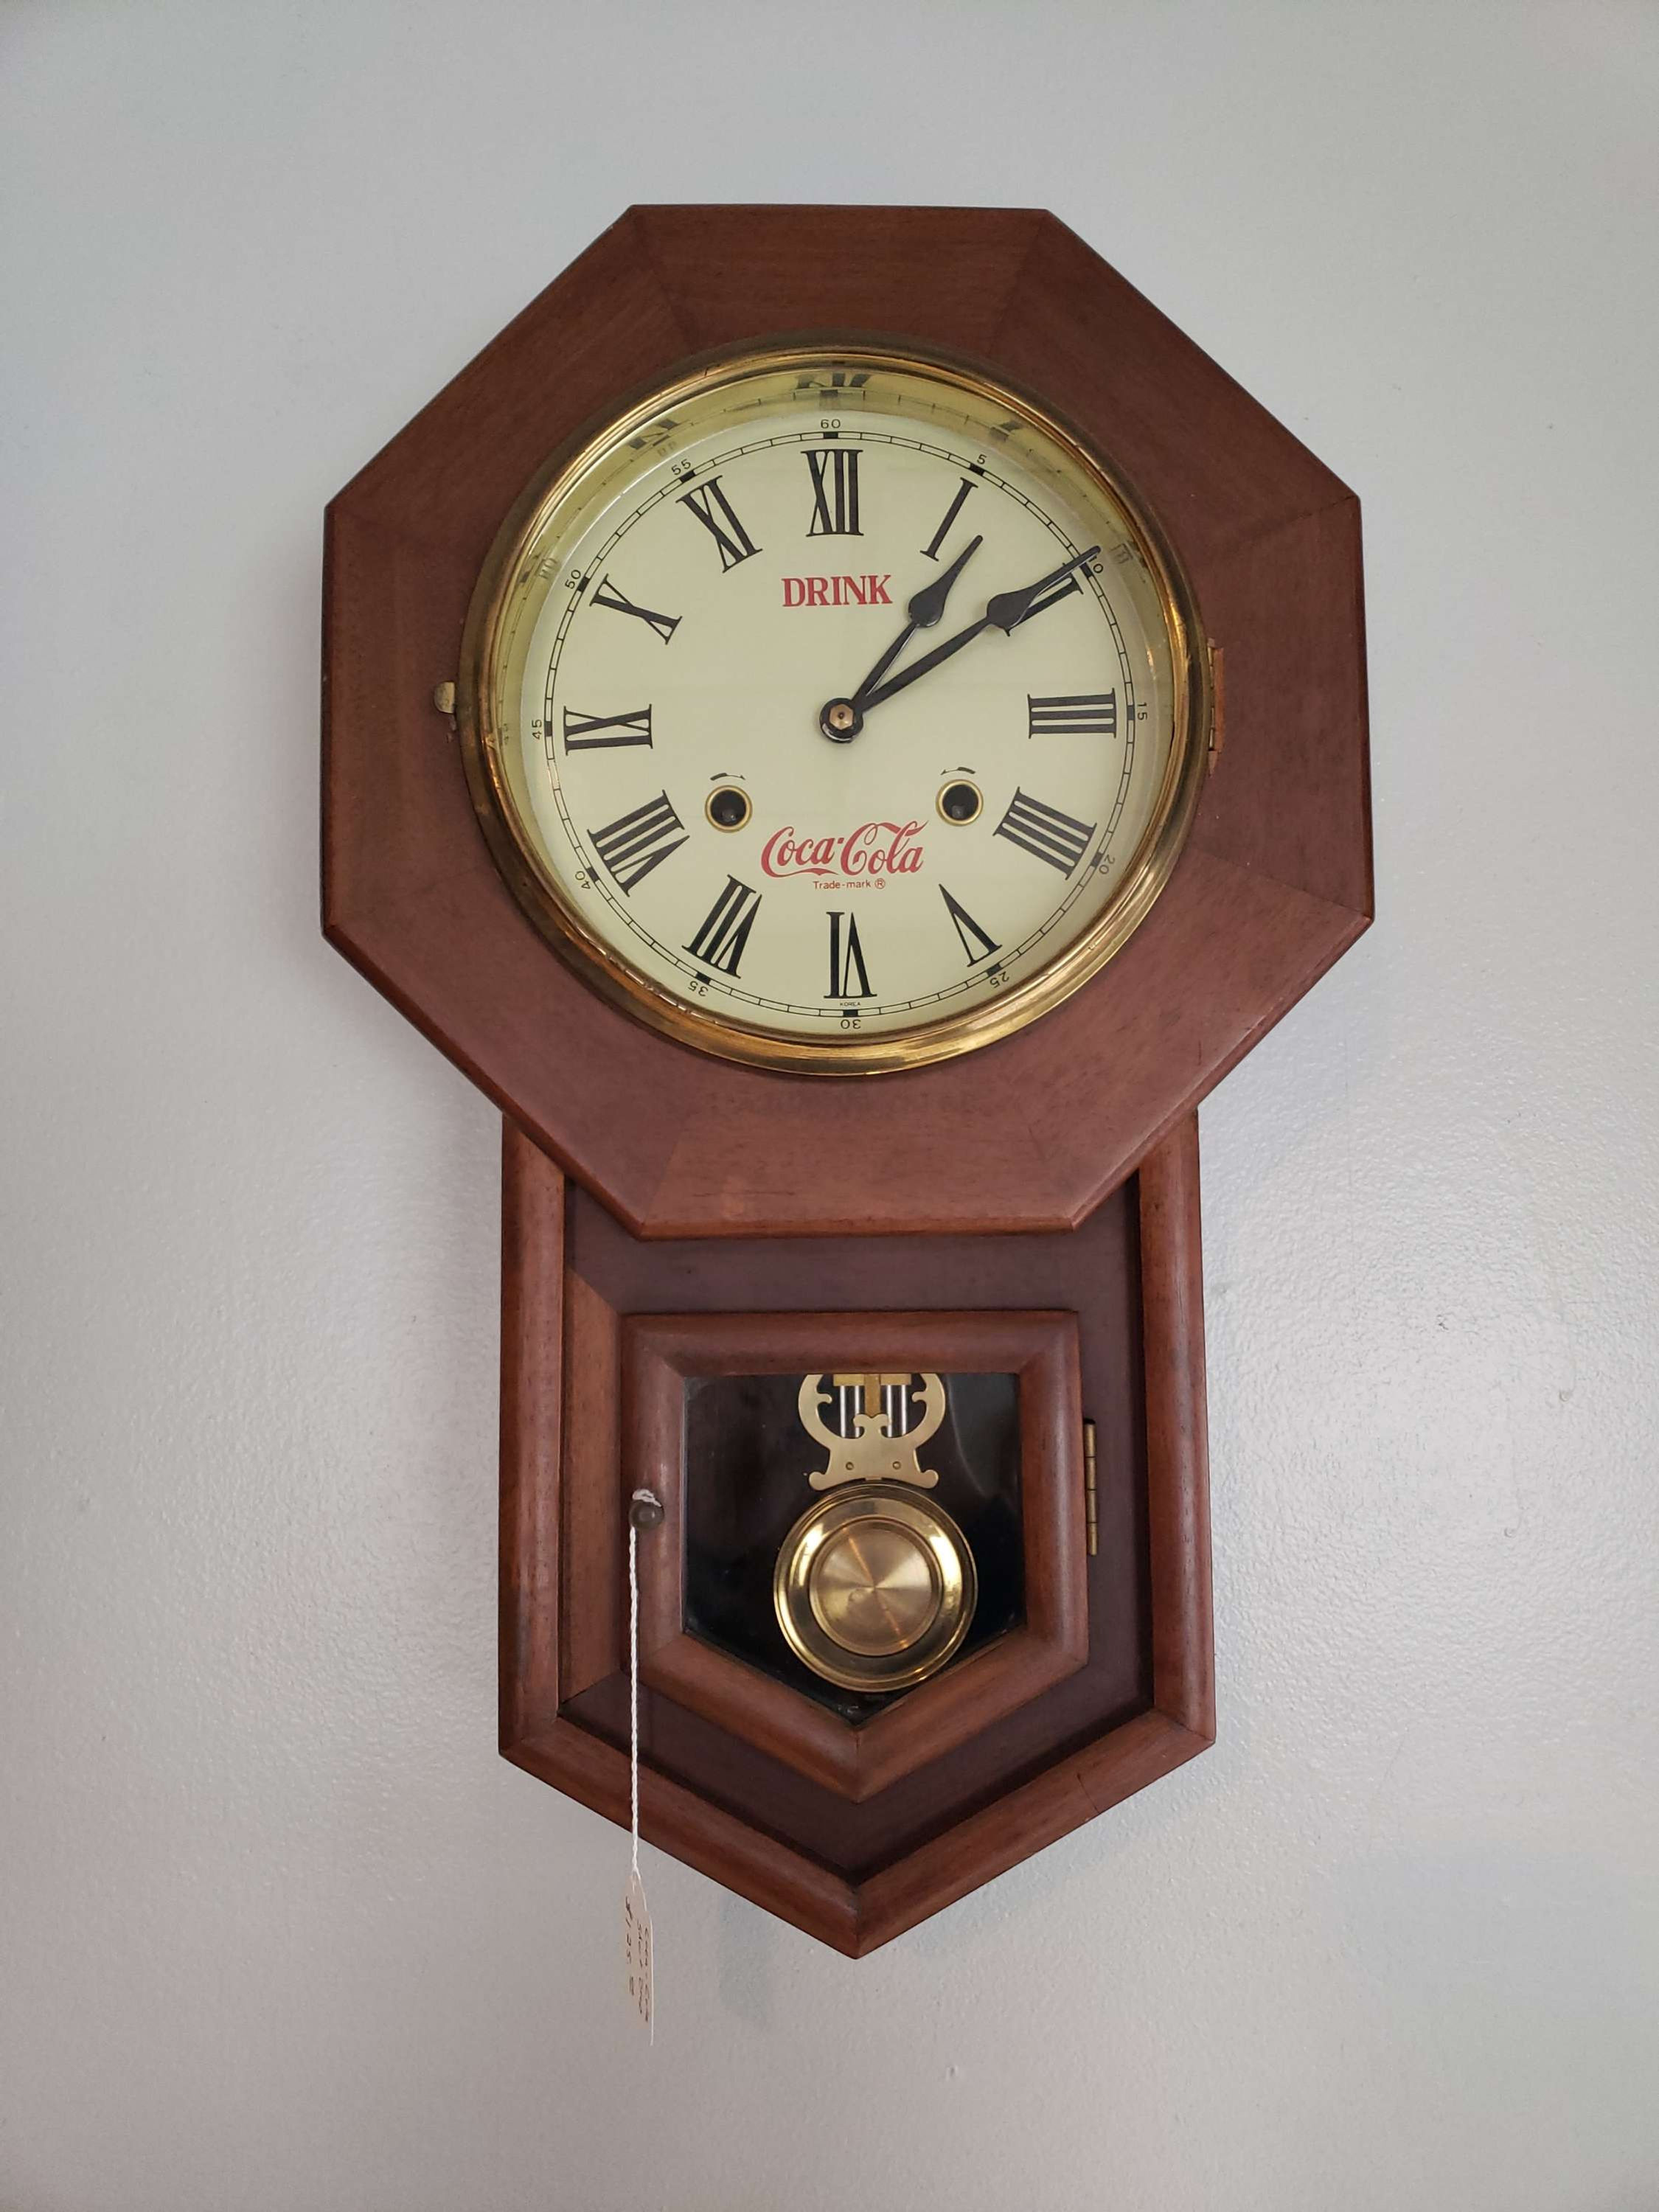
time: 1:09
